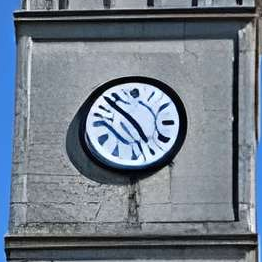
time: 4:52
